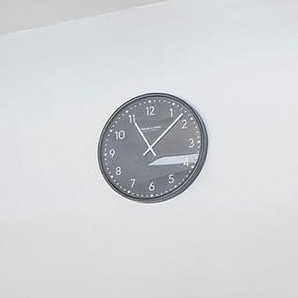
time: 11:07
